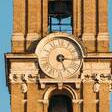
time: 5:15
